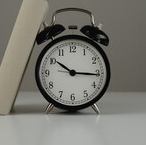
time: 10:15
